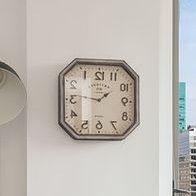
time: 1:46
